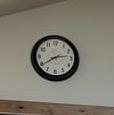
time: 2:39
